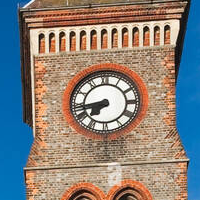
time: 7:43
